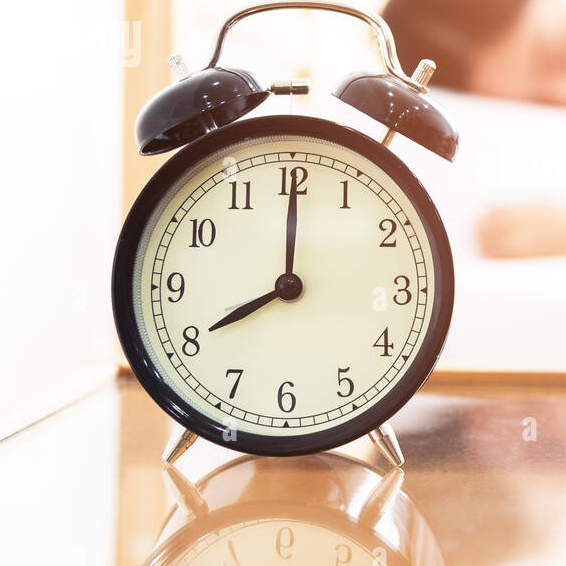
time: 8:00
